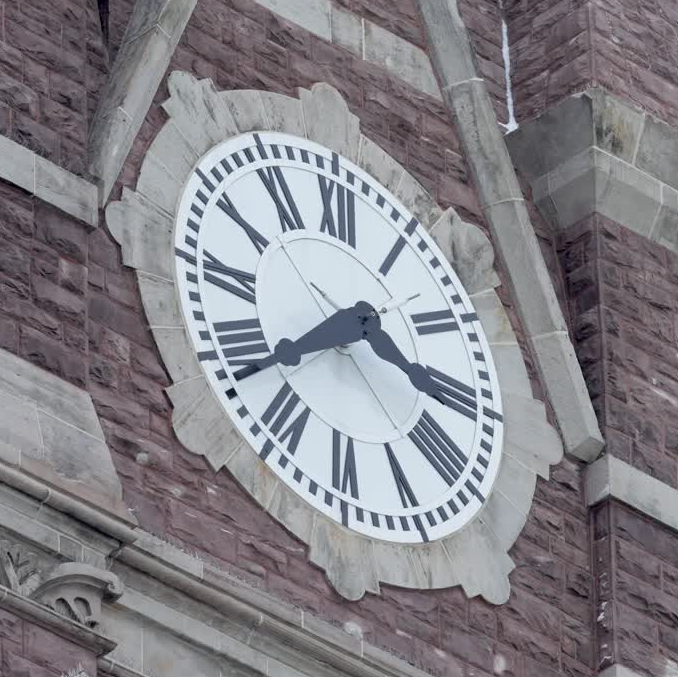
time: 3:38
